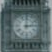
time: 3:00
